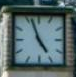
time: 4:56
